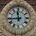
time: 11:43
